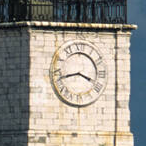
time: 3:43
